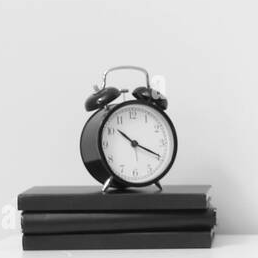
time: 10:19
